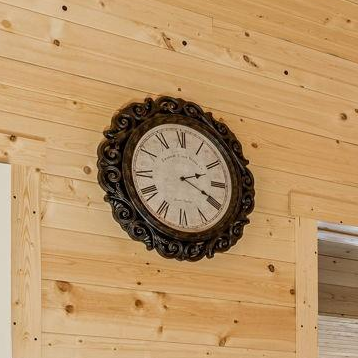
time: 2:19
